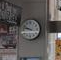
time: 9:47
